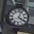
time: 4:03
